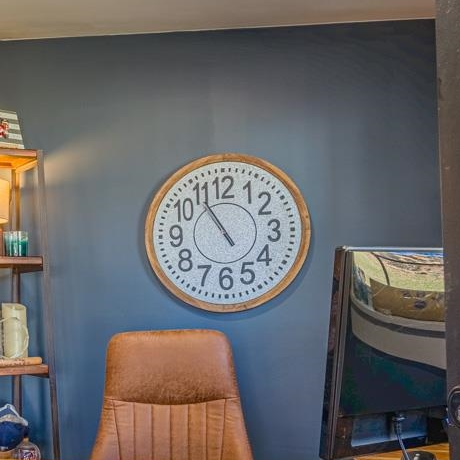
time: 10:54
